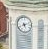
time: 5:11
